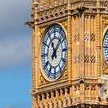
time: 11:07
